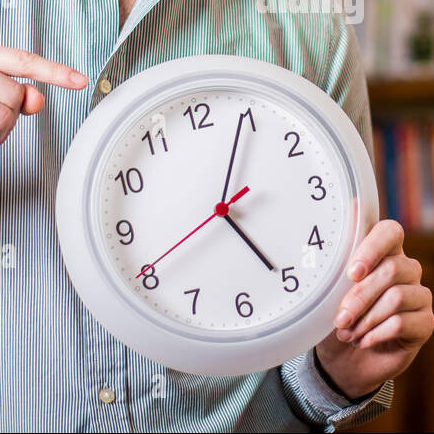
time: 5:04
